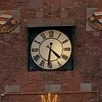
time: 4:31
